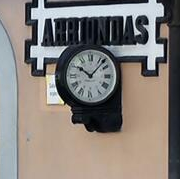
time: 10:07
